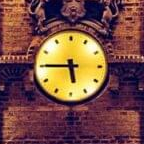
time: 5:45
